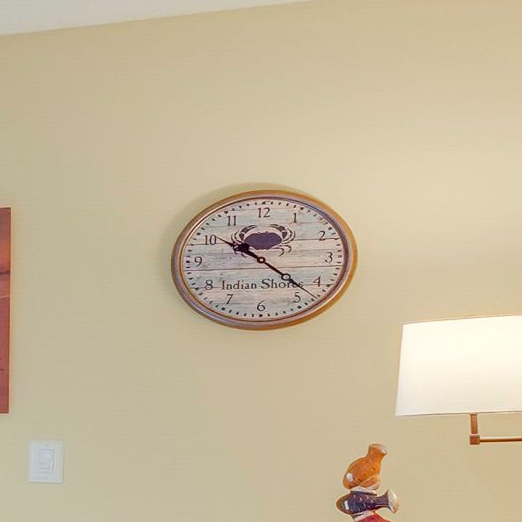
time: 10:22
